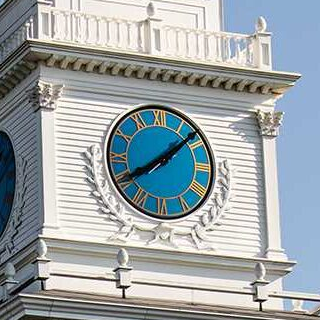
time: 8:07
